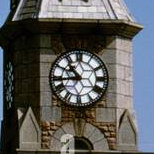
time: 10:43
